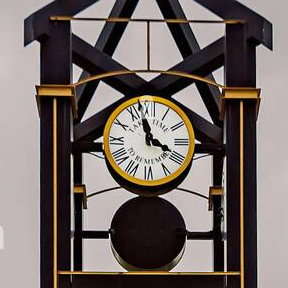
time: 3:57
